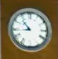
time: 10:43
